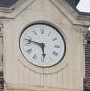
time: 5:47
